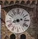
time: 8:12
